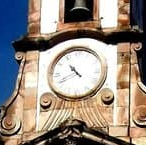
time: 10:40
